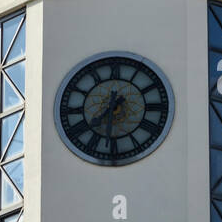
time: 7:31
